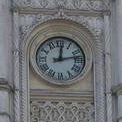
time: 12:12
